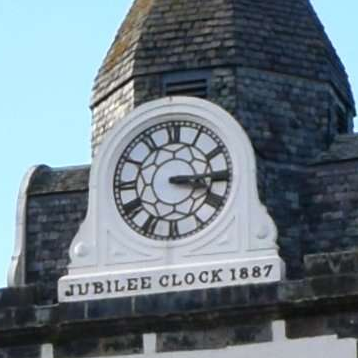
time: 3:14
